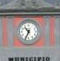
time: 10:34
